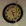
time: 5:12
